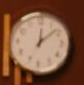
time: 12:08
